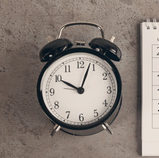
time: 10:03
